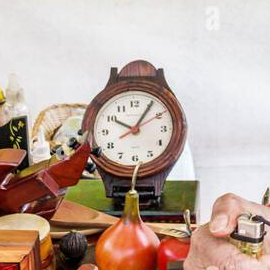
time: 10:05
